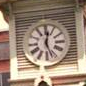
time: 12:26
